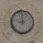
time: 8:59
